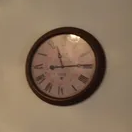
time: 11:14
